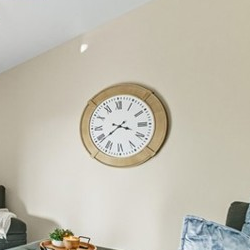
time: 3:38
